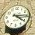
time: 4:14
